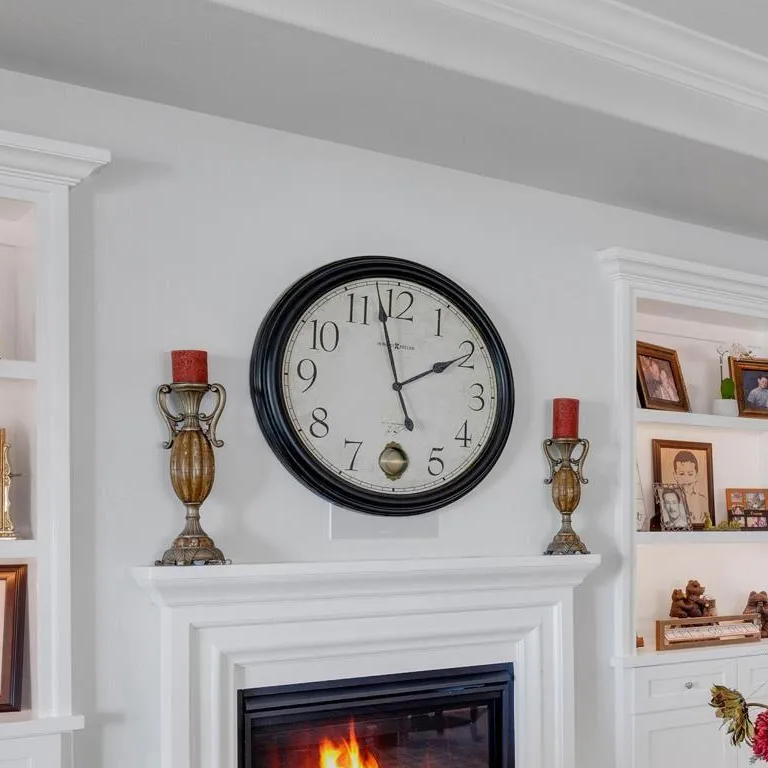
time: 1:57
